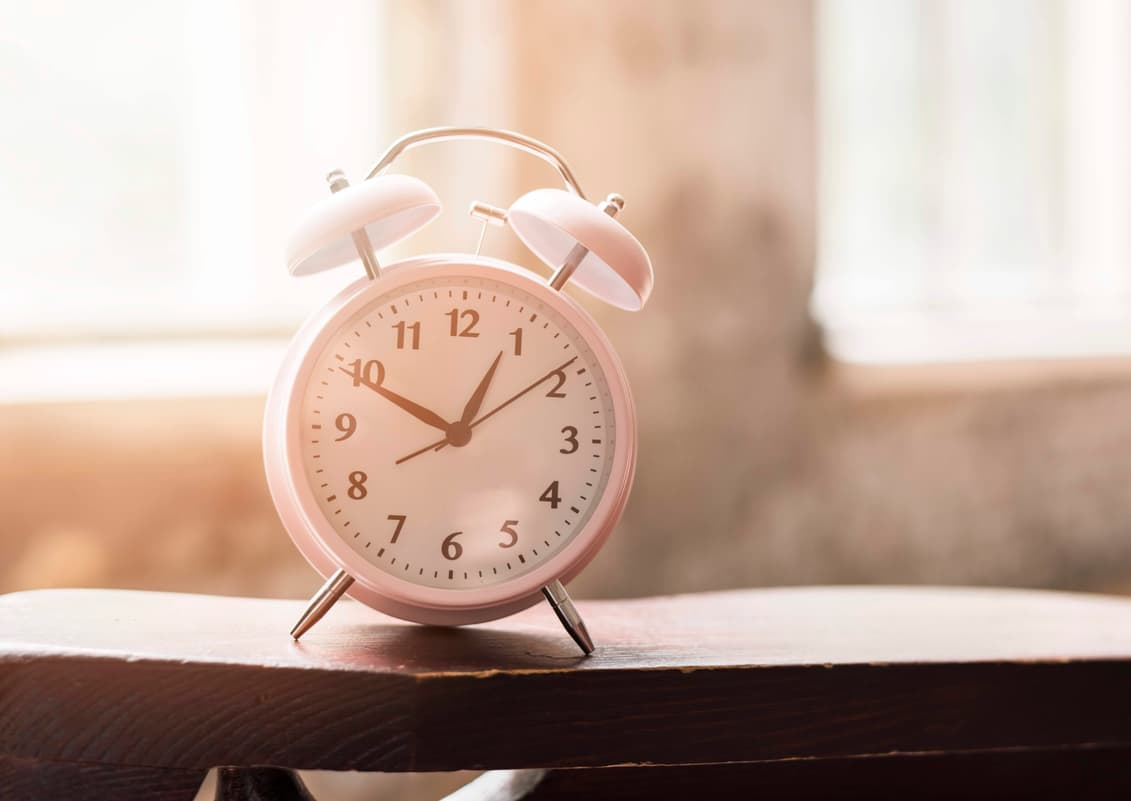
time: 12:49
